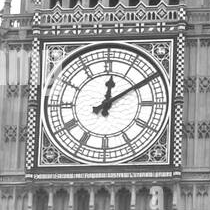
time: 12:09
